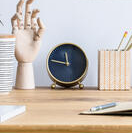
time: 11:46
